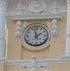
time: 1:57
